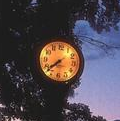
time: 7:37
